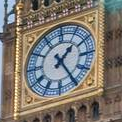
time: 1:24
